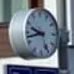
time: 9:42
